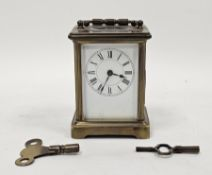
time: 3:34
